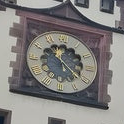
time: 11:21
